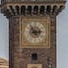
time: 2:53
